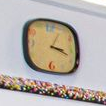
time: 3:18
